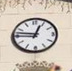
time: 12:46
